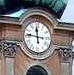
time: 11:46
